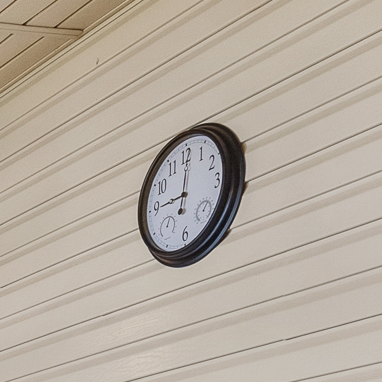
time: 9:00
